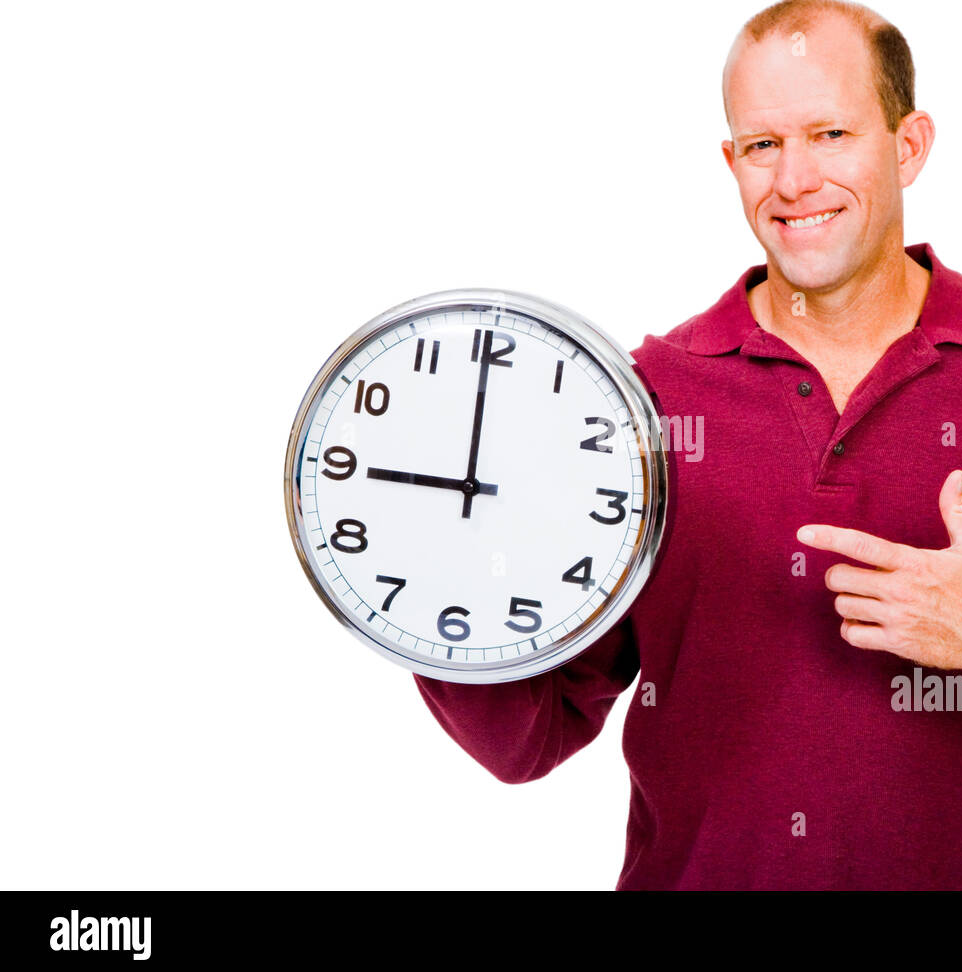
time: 8:59
